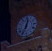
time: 12:34
